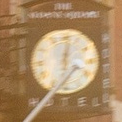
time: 4:01
